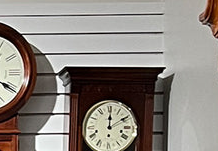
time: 12:09
